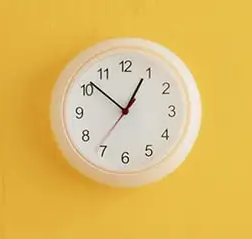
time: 12:51
